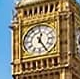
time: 12:24
